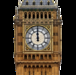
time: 11:59
